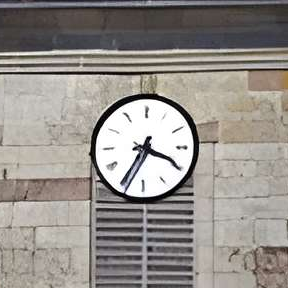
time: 3:35
